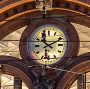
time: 10:11
